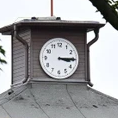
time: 3:14
